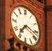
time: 7:17
